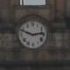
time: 2:48
